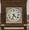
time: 4:33
